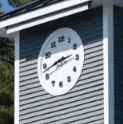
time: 2:42
